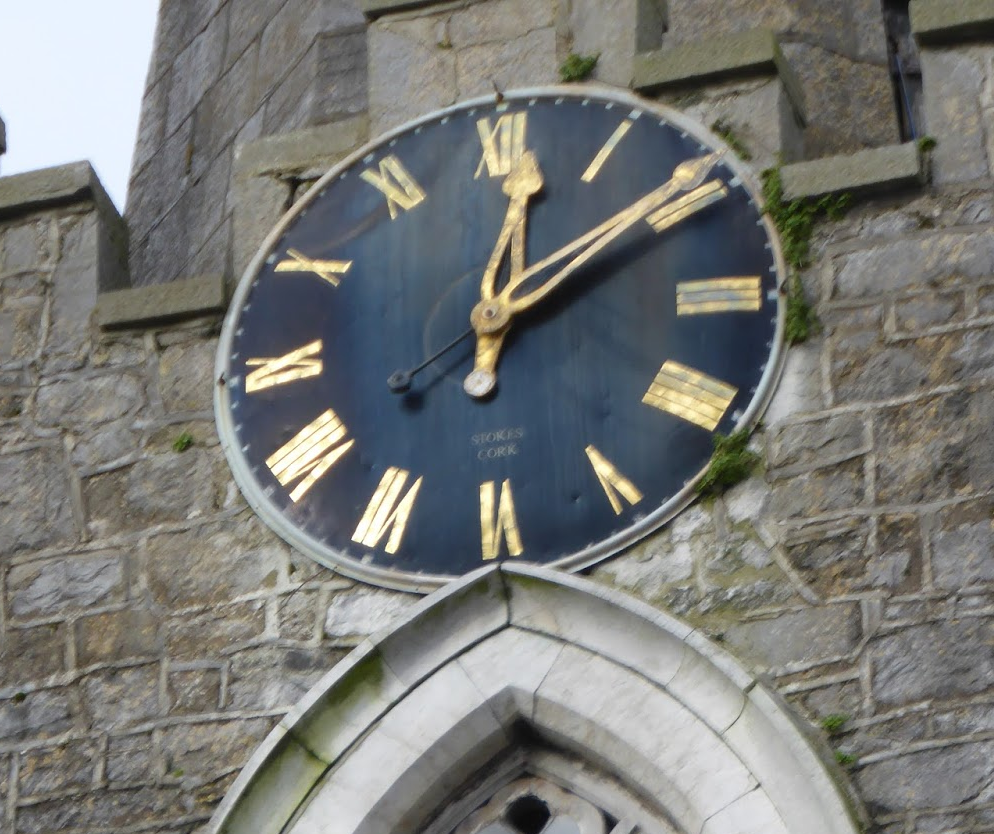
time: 12:09
